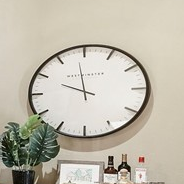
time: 9:58
